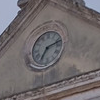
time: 7:11
